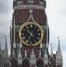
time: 10:33
